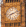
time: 8:11
